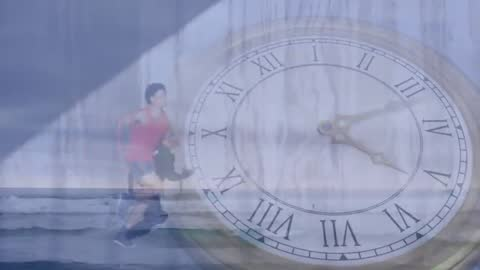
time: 4:11
